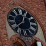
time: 12:38
